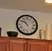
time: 10:51
